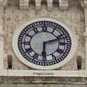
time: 6:11
